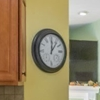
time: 12:06
